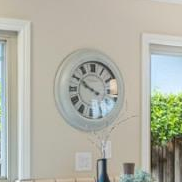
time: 9:50
